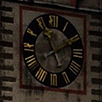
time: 11:09
